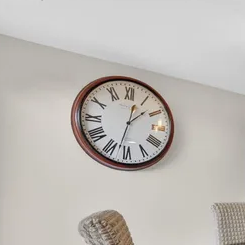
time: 1:32
